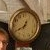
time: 12:40
